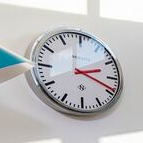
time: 2:18
